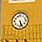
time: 5:26
